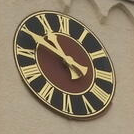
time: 10:49
